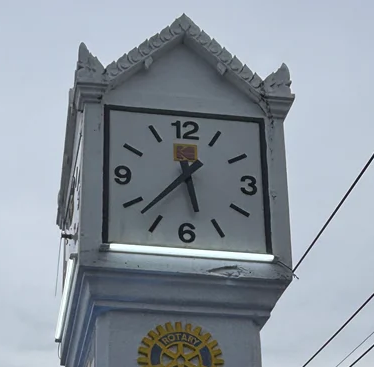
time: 11:37
